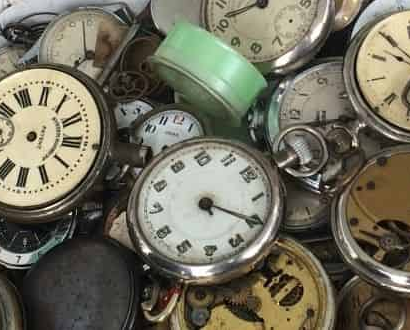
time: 4:20
